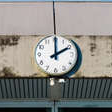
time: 2:00
